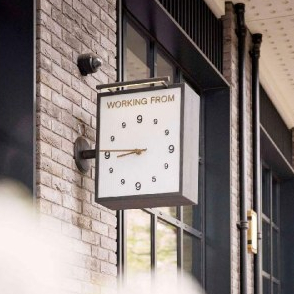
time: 8:45
